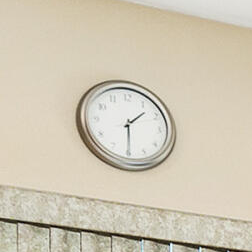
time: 1:29
